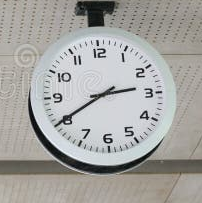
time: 2:40
